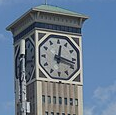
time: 12:17
